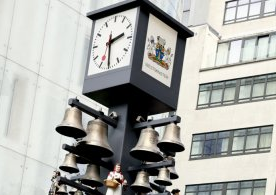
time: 2:29
